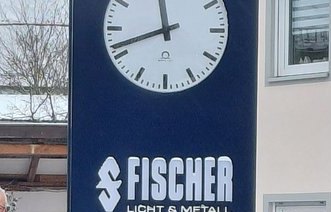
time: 11:41
